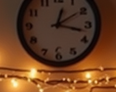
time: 12:17
